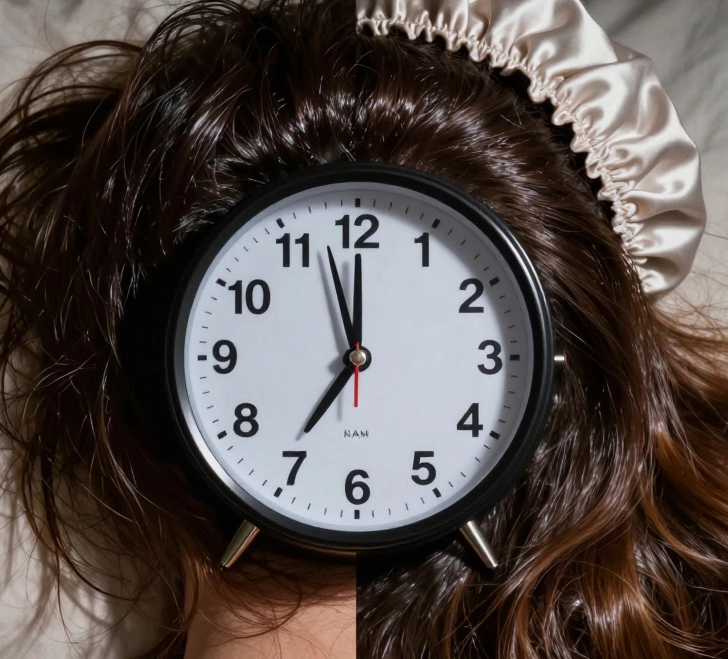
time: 11:35
